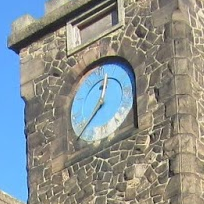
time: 12:37
